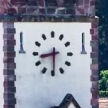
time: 8:29
